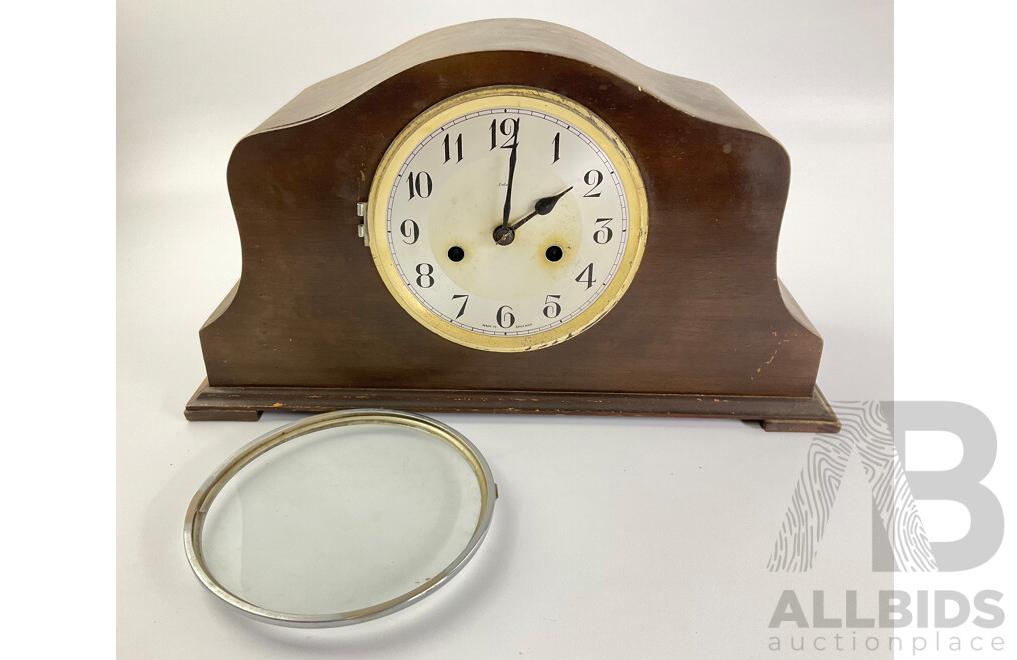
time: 2:01
